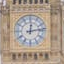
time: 12:13
